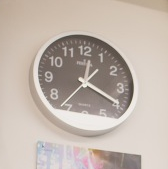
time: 12:19
